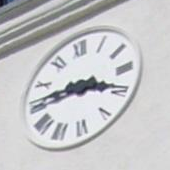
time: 3:45
